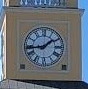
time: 1:43
